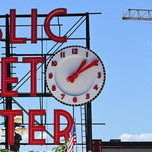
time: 1:09
